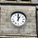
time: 1:00
